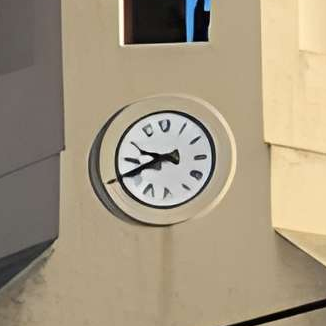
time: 9:41
